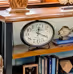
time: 12:20
